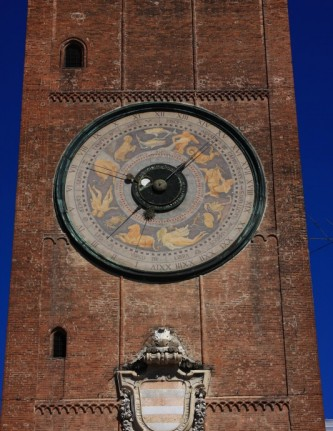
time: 9:07
